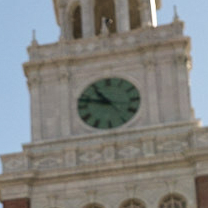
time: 10:47
